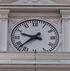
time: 9:38
